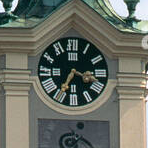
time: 3:34
